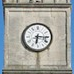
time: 6:15
